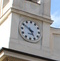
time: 4:50
